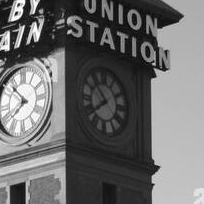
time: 7:52
